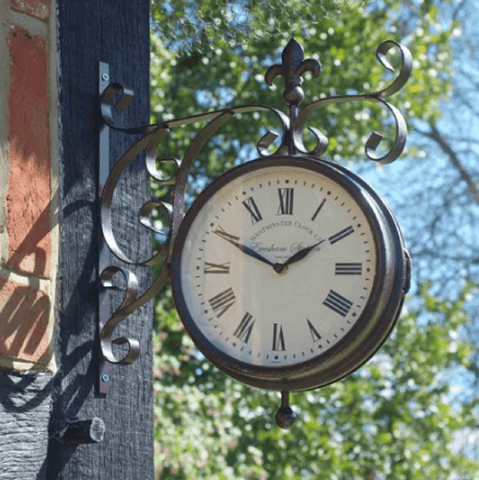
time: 1:49
